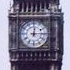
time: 12:14
